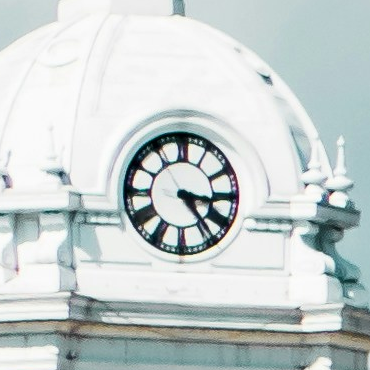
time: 3:23
